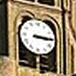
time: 3:14
